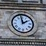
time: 1:59
